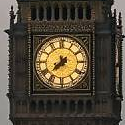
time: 7:37
